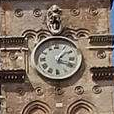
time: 1:18
